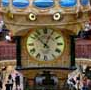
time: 12:52
